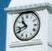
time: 10:42
